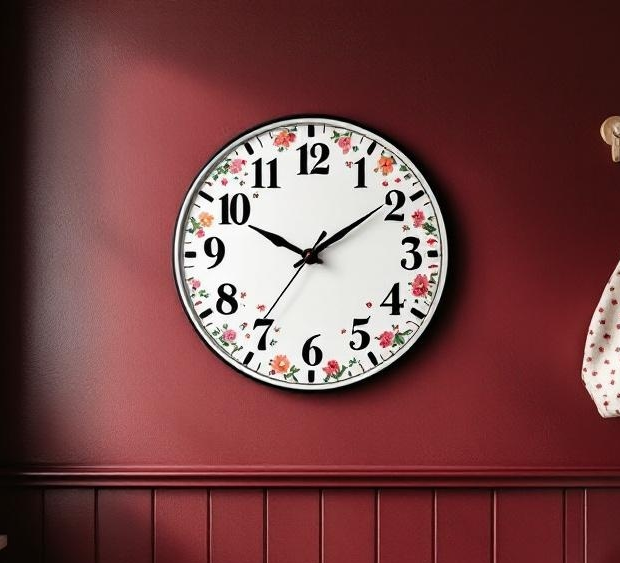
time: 1:49
